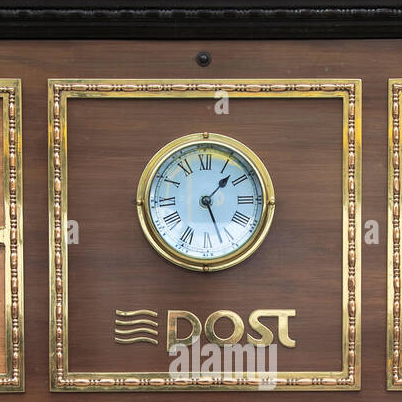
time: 1:26
